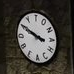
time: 9:50
